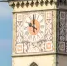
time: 10:00
